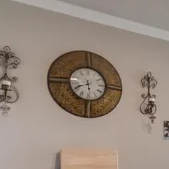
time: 5:40
